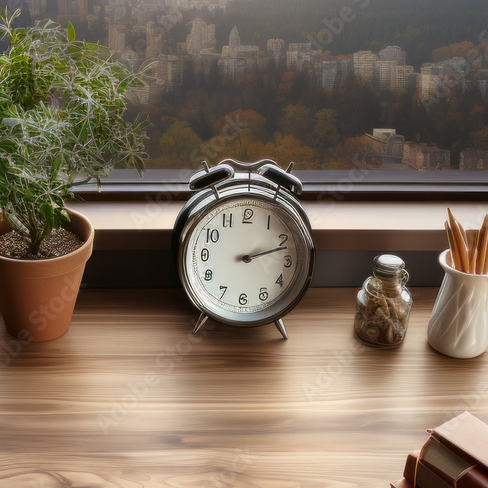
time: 2:12
